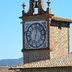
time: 12:32
